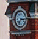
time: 7:15
